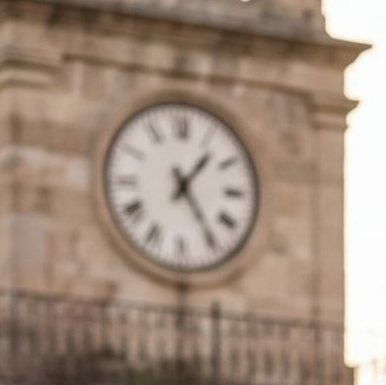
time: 1:24
